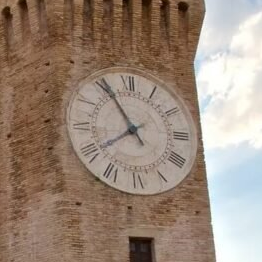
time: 7:54
